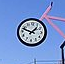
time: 1:47
